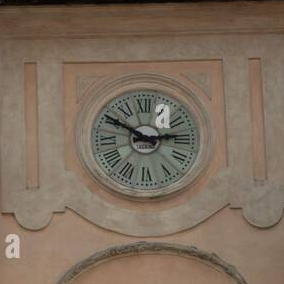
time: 2:50
